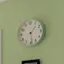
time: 1:28
